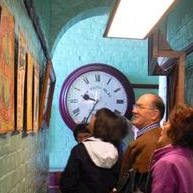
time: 9:34
